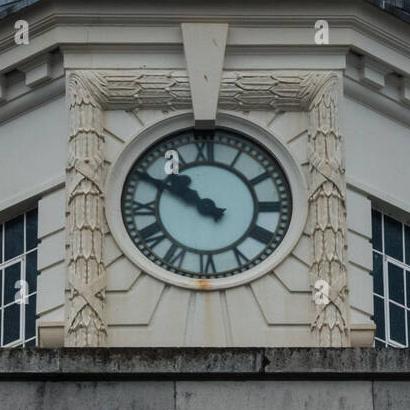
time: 10:50
